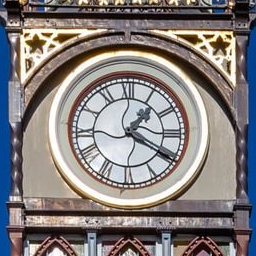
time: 1:20
